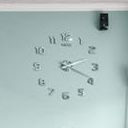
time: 2:18
